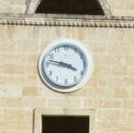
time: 3:47
